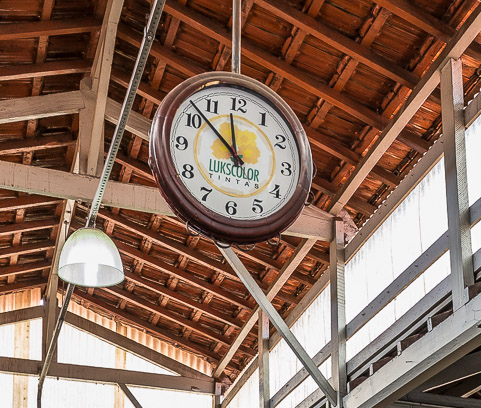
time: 11:52
